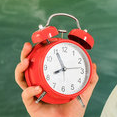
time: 7:55
